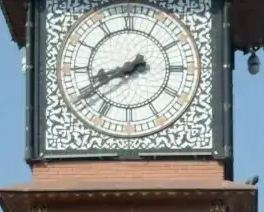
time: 8:40
